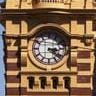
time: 3:21
